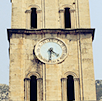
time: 4:31
